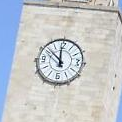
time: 11:51
